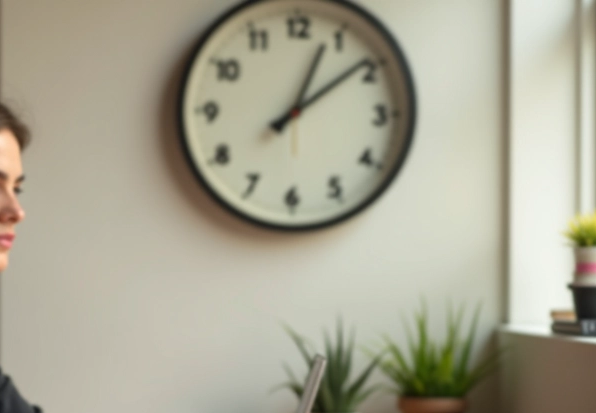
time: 1:08
